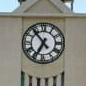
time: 6:53
